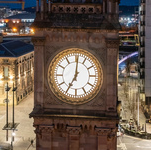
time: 7:00
